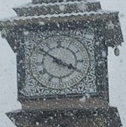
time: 3:51
